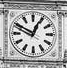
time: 12:49
